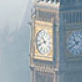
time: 10:41
